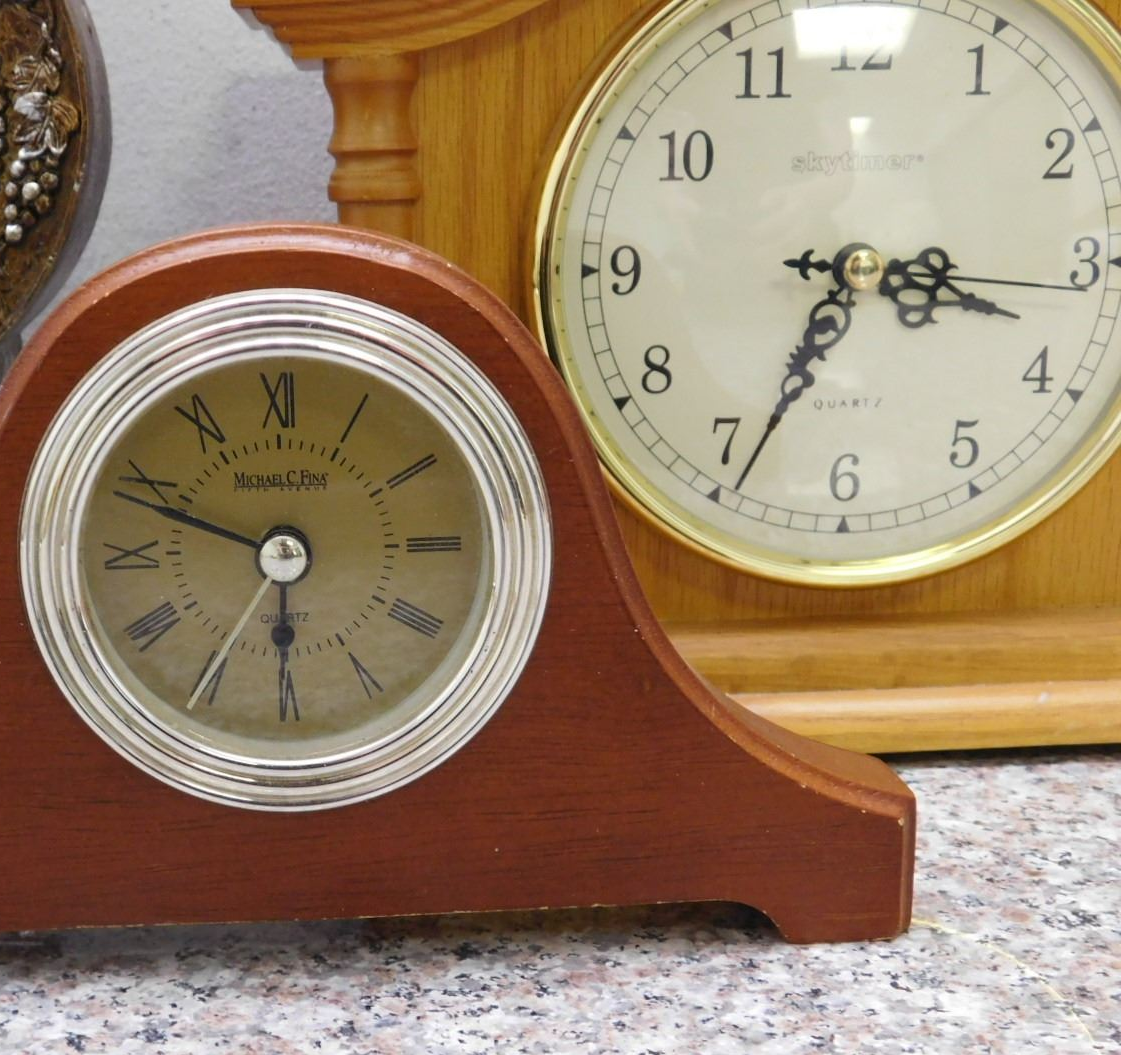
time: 3:34
